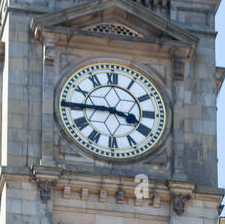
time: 3:45
